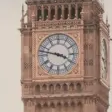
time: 3:47
